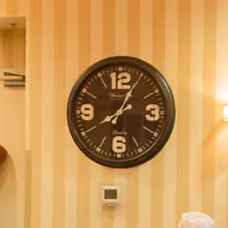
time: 8:04
